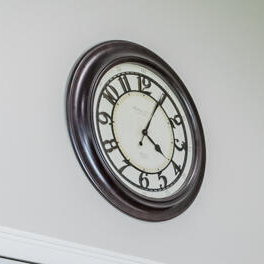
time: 4:04
